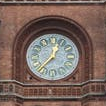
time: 12:37
